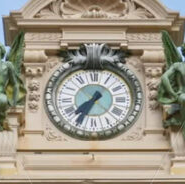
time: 7:34
